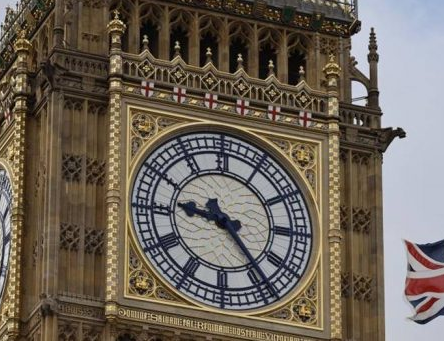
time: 9:23
